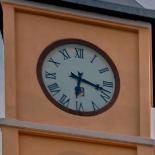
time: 6:17
